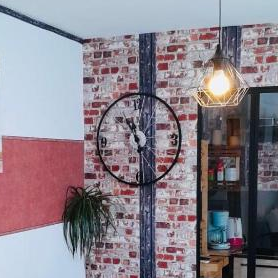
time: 10:28
